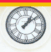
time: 1:08
